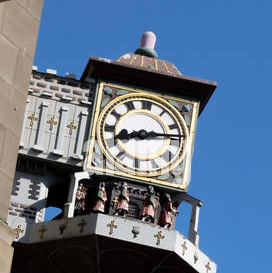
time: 8:13
